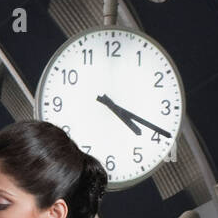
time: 4:18
